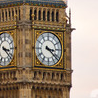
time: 3:21
